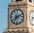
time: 7:11
